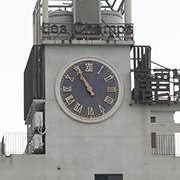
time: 10:55
